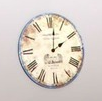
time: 2:01
